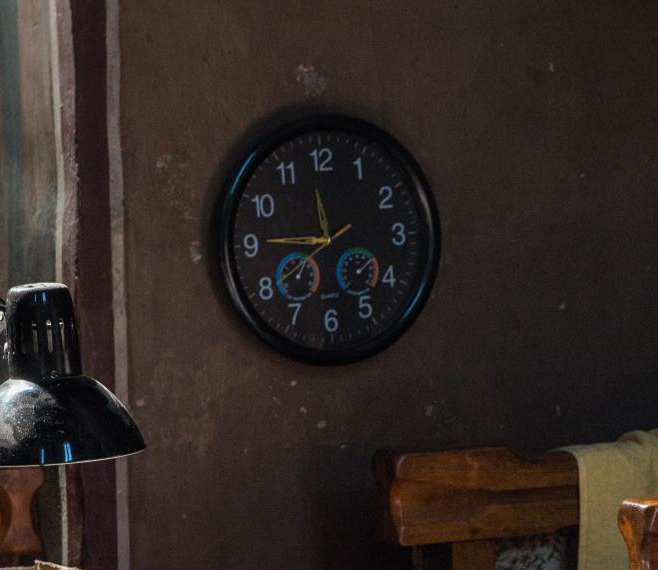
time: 11:45
